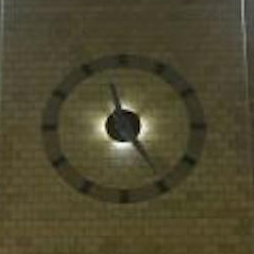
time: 11:24
